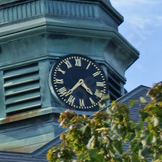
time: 4:37
